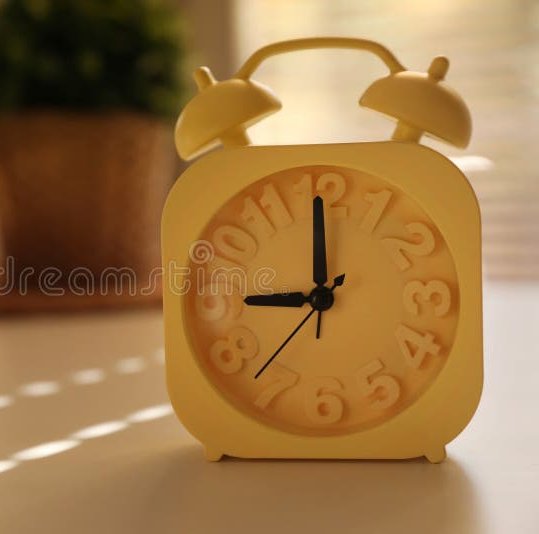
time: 8:59
